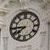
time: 7:44
